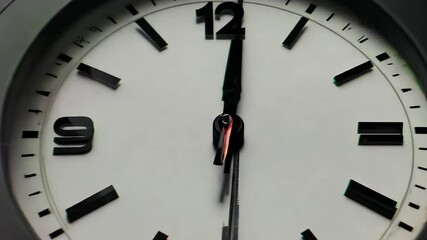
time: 6:01
